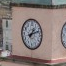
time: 1:11
